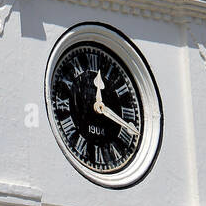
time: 12:18
